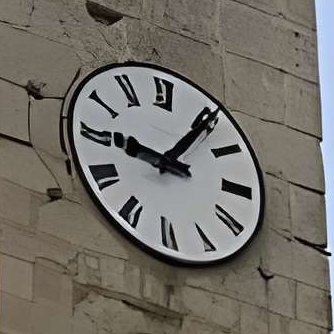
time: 9:06
